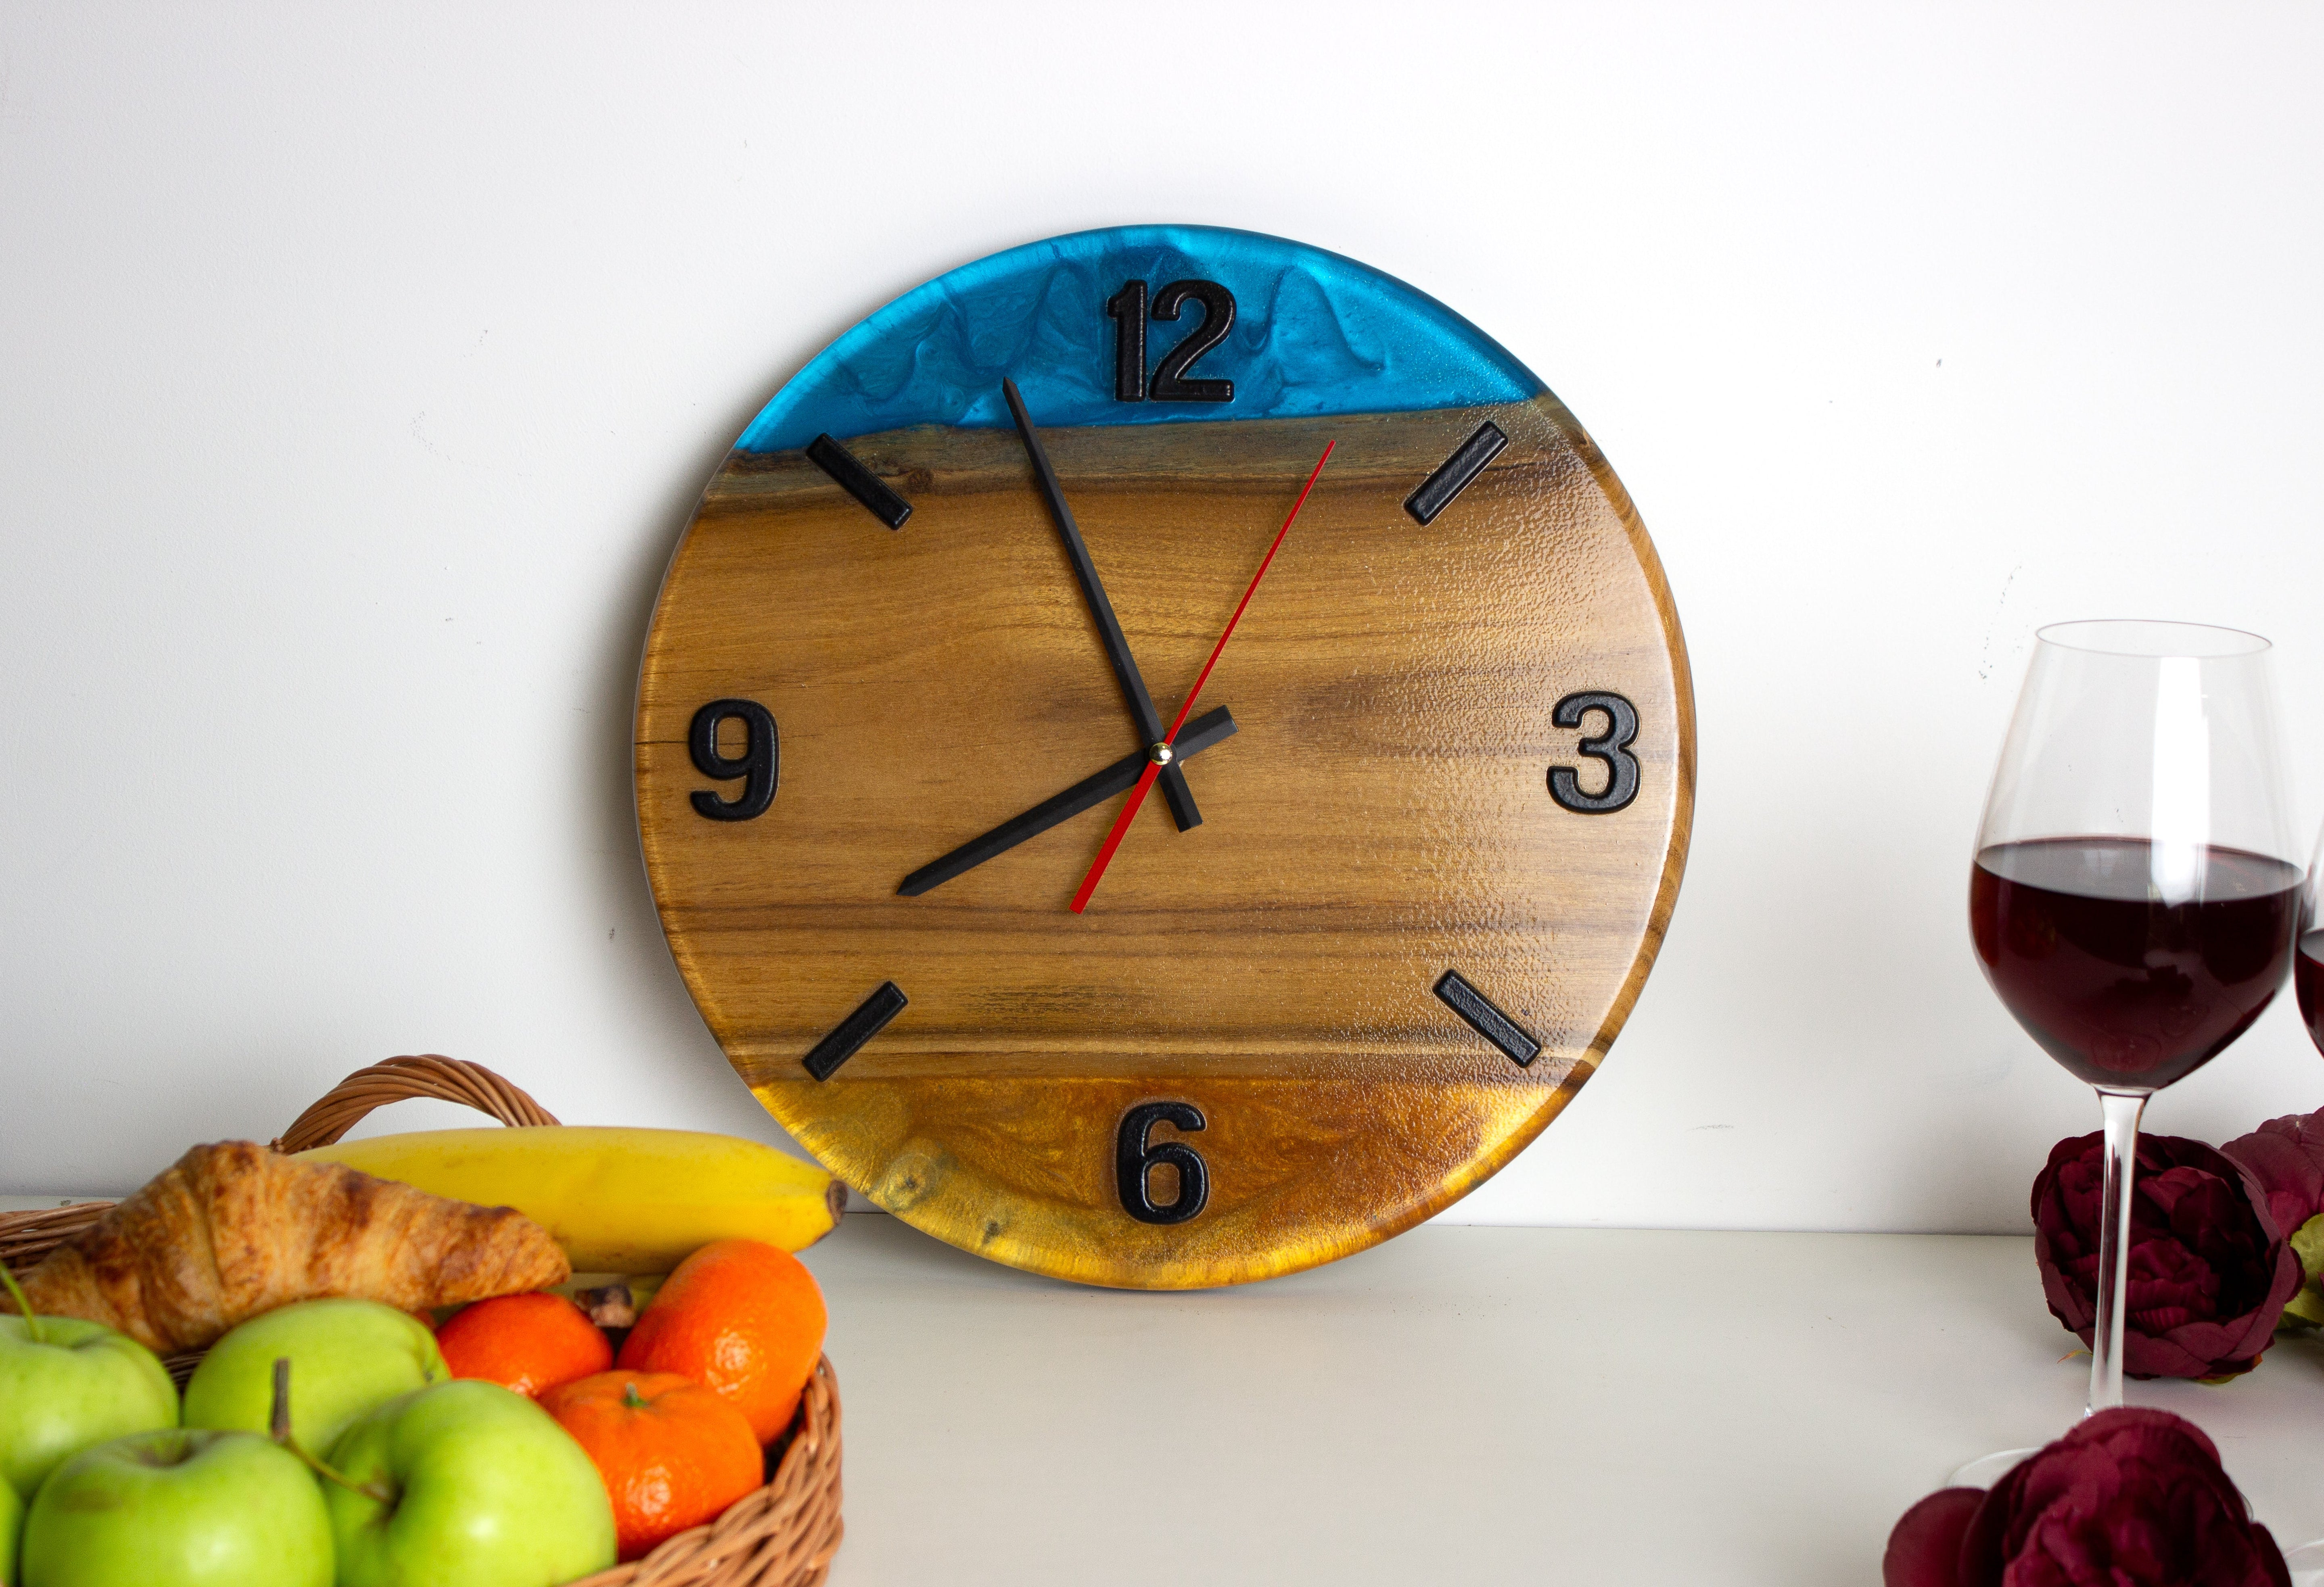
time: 7:55
